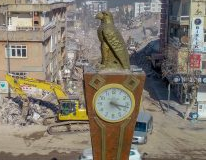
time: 4:17
